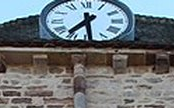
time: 7:29
